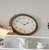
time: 1:50
